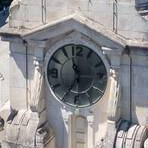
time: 11:35
